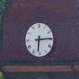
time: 6:14
